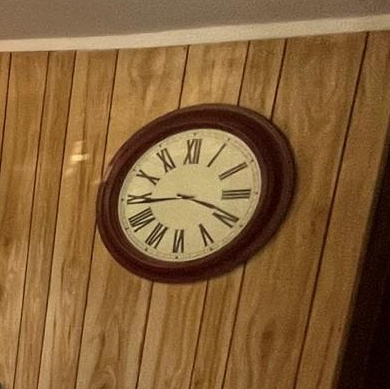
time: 3:44
